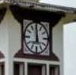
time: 11:59
